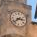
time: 2:38
